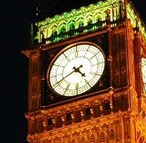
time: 4:40
